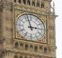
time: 2:57
